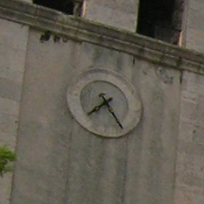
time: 7:25
